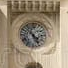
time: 4:52
